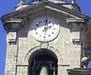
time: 2:01
